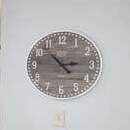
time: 2:53
